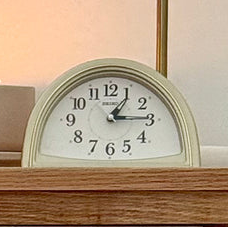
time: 1:14
